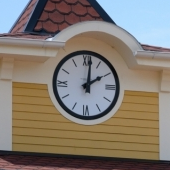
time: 2:01
